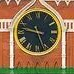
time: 9:26
